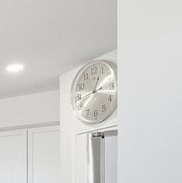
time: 12:43
